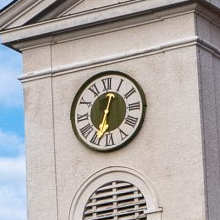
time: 12:33
